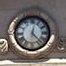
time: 12:22
